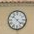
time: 10:22
